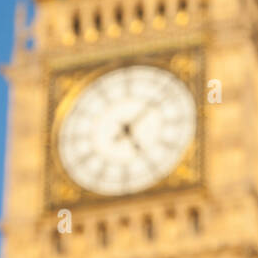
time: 5:07
